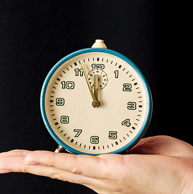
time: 11:56
